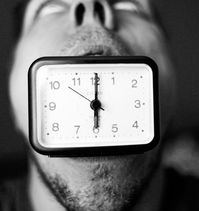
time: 6:00
